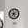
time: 7:27
